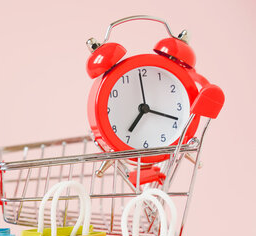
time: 7:18
